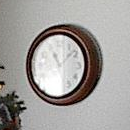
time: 11:08
